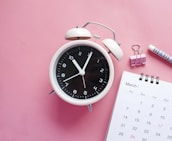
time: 11:05
